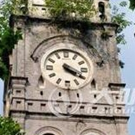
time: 4:19
